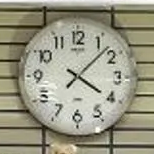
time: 4:07
